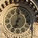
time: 7:00
